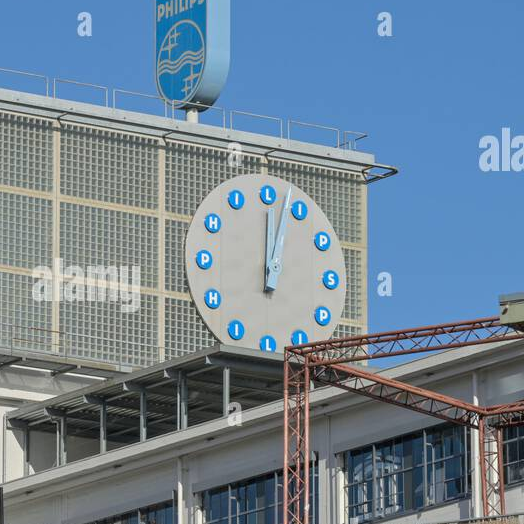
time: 12:02
